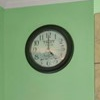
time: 5:00
